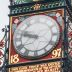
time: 9:47
